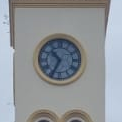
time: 10:34
